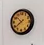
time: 7:52
